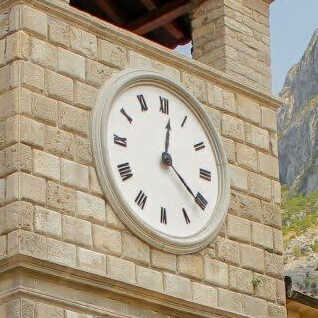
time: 12:20
